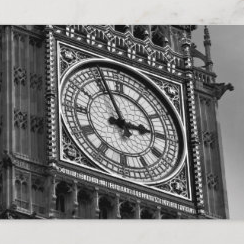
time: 2:56
